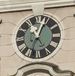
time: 11:03
